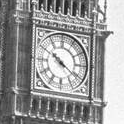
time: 10:21
